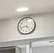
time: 4:42
